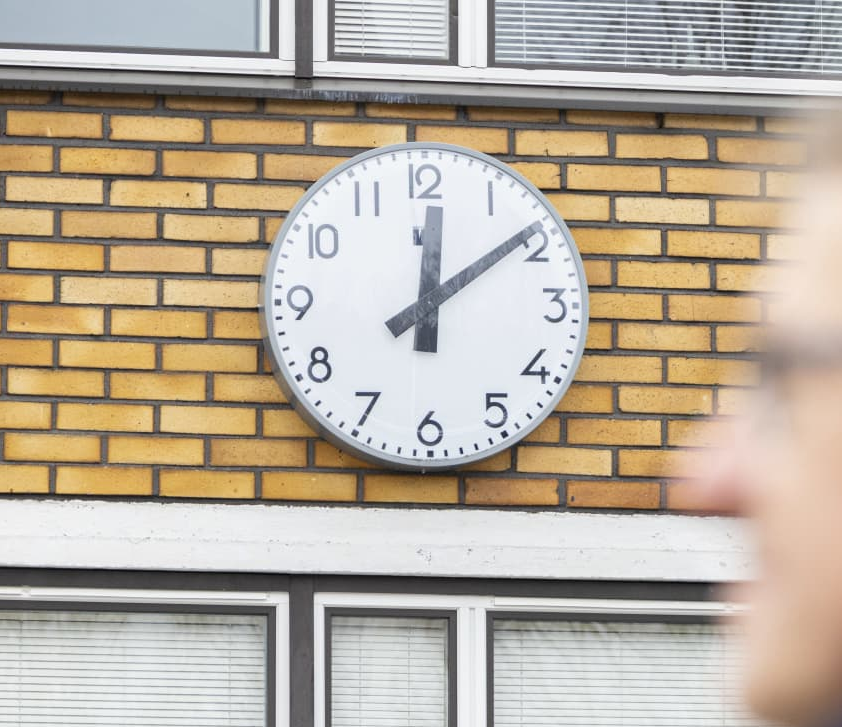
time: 12:08
